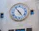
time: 4:54
